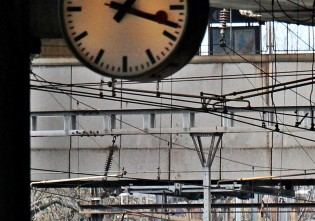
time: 1:18
